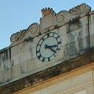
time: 3:22
